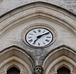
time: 7:09
